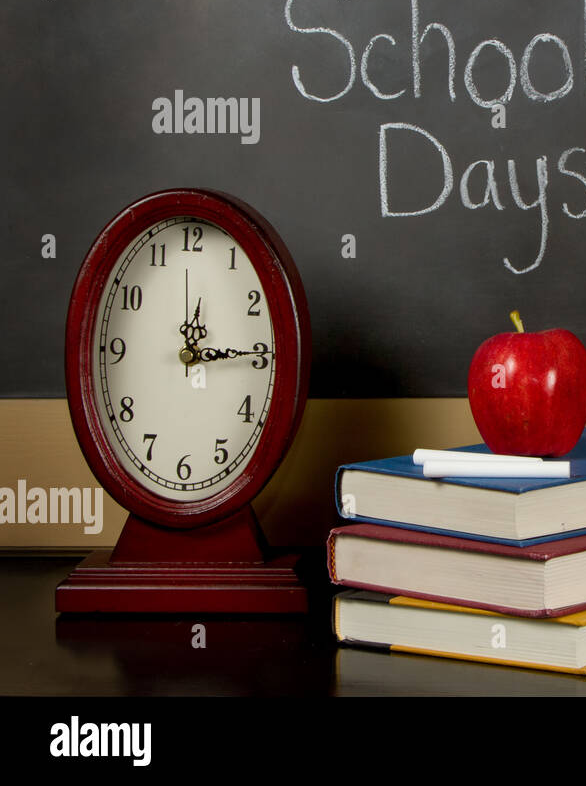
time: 12:14
